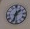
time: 1:33
